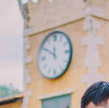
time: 11:50
